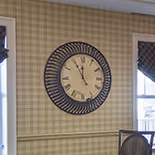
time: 11:55
